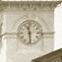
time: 11:29
